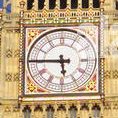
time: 5:45
